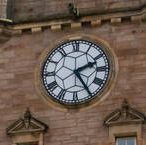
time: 2:24
